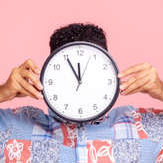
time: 11:55
